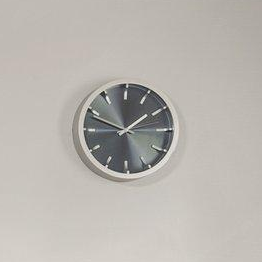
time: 1:48
